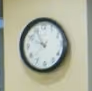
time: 9:55
